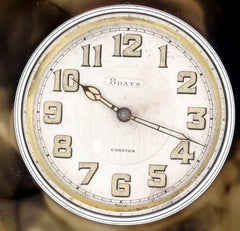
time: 10:18
